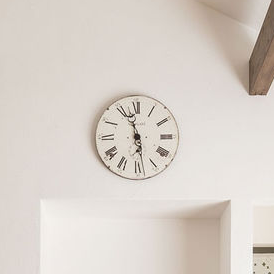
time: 11:28
